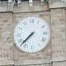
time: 7:37
